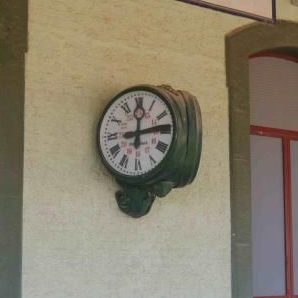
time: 12:13
